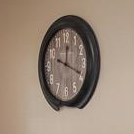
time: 12:19
